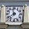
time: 11:37
